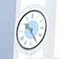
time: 10:24
